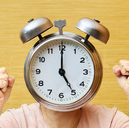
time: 5:00
